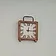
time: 12:14
